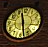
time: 11:28
